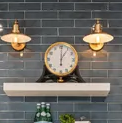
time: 1:00
